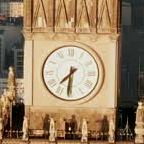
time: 7:31
